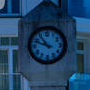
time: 10:48
